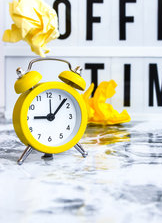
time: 9:07
